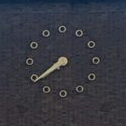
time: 7:39
